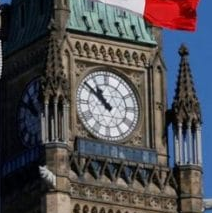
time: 10:51
